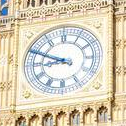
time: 8:48
